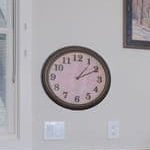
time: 1:10
